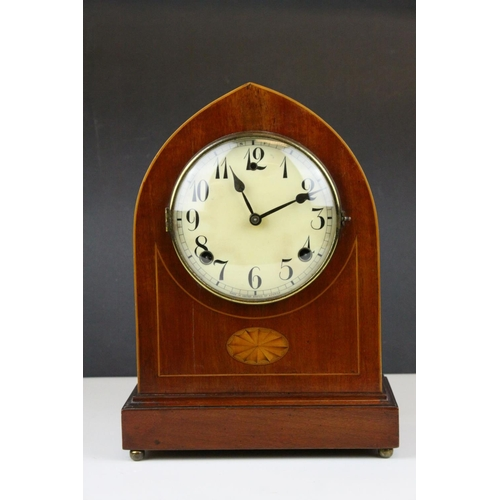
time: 11:10
